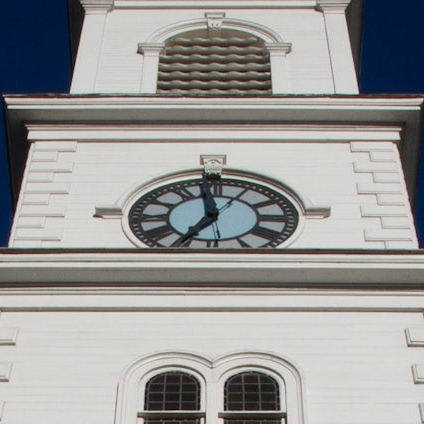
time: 6:58
